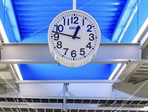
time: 12:47
